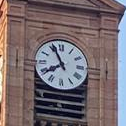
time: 7:55
